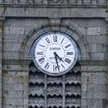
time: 4:27
